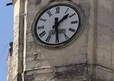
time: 1:29
